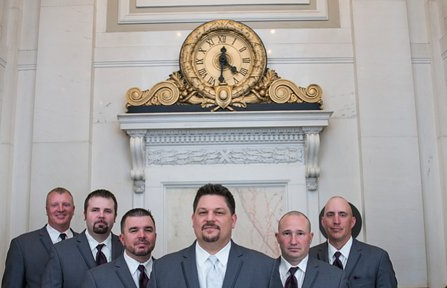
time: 4:31
